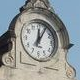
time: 12:05
